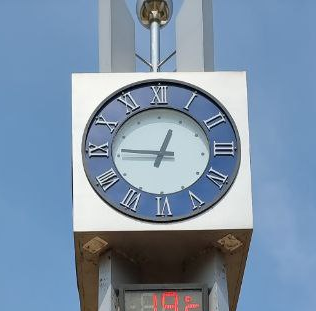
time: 12:45
